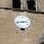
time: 2:42
